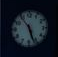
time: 5:26
